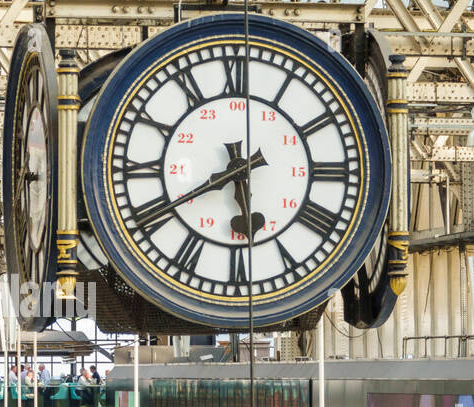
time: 5:40
